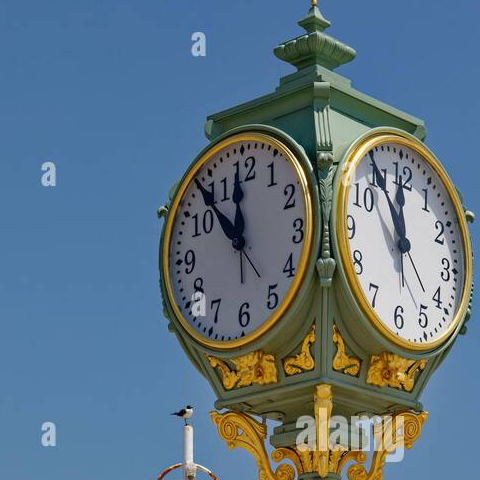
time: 11:53
